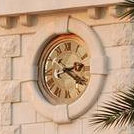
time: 2:21
